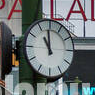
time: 10:59
